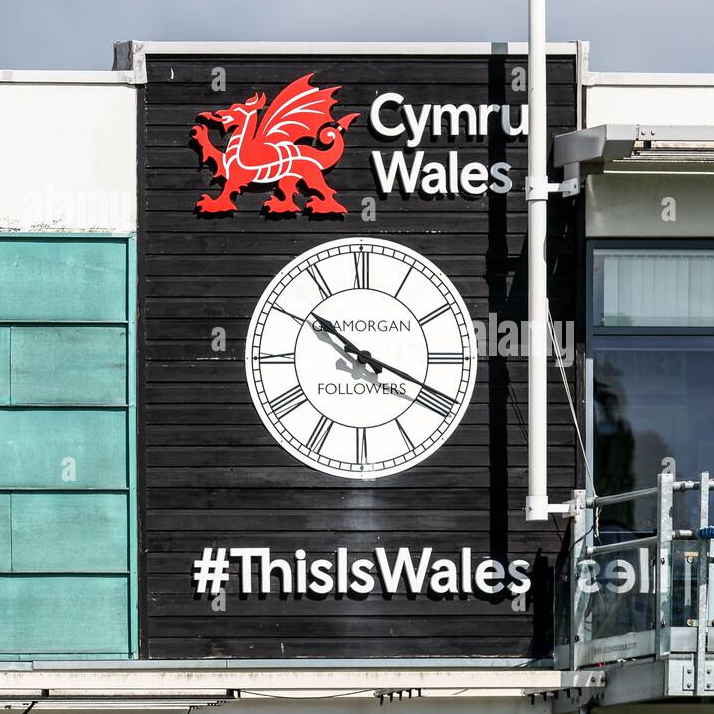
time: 10:18
